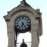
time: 6:24
